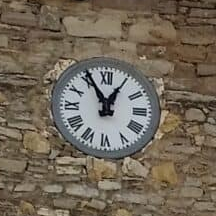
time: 12:55
